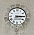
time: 3:14
